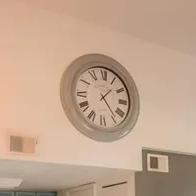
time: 1:23
